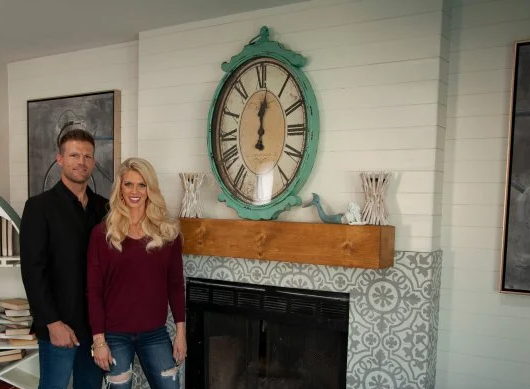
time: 12:01
